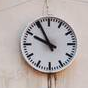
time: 9:55
